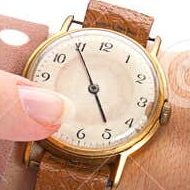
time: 4:54
